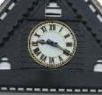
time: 9:20
